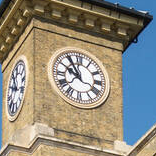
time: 9:54
